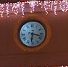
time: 6:17
